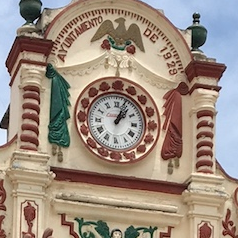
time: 1:03
